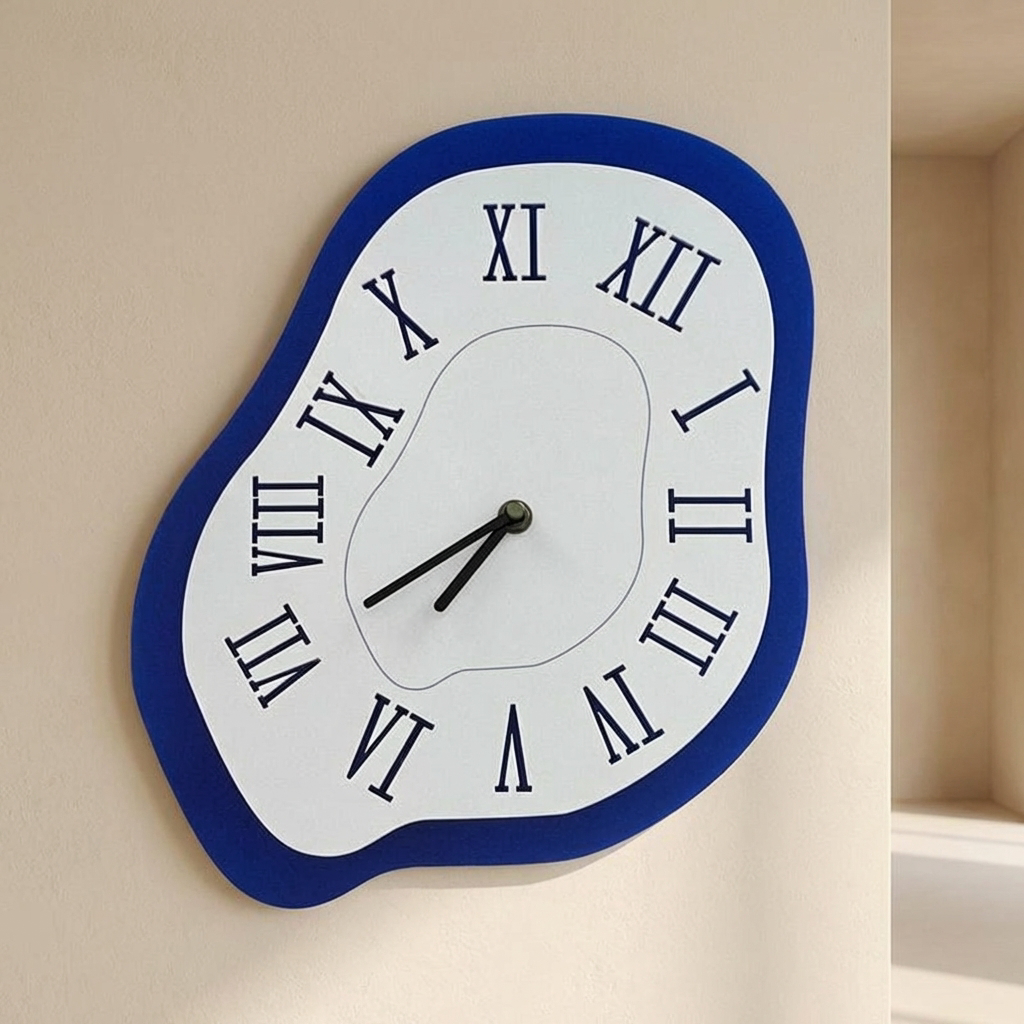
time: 7:40
